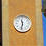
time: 11:32
